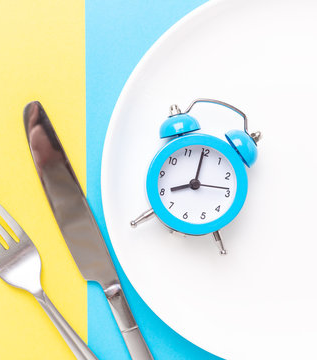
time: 7:59
